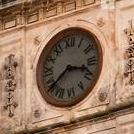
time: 3:39
